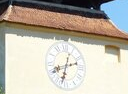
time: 2:33
